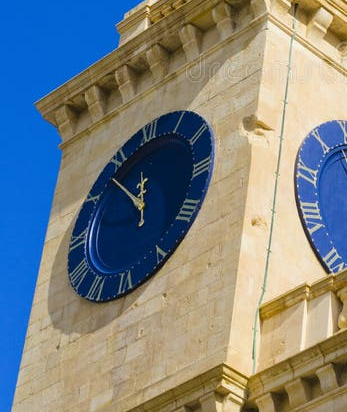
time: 11:52
